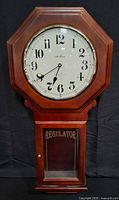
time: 6:39
